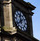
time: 11:38
